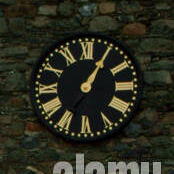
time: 1:05
